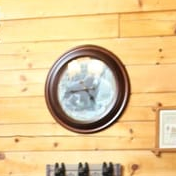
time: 4:42
